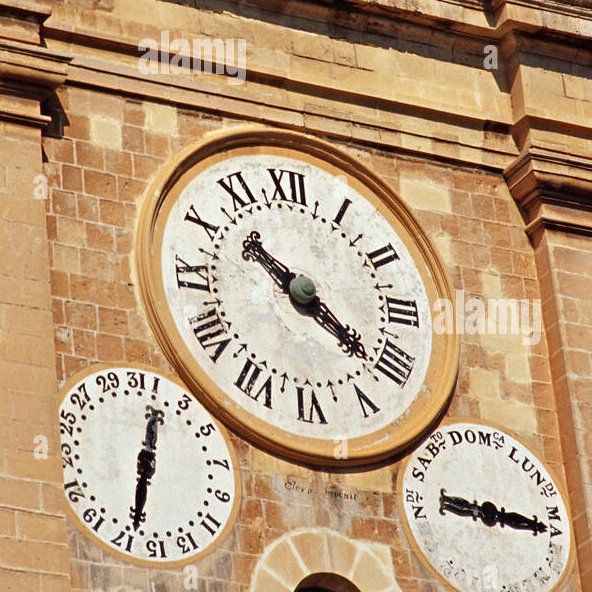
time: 10:21
